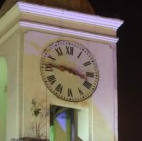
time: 9:17
